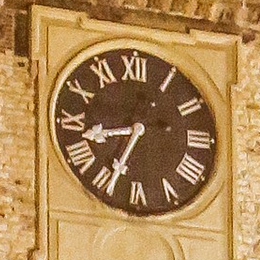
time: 8:34
